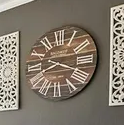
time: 8:18
